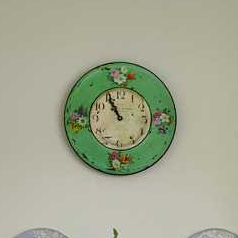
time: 10:55
